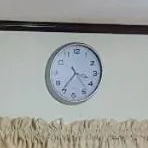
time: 3:36
